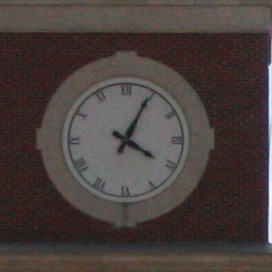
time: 4:04
